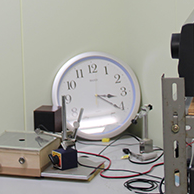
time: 3:20
